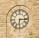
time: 6:15
